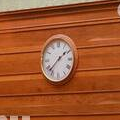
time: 1:37
